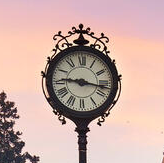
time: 9:16
